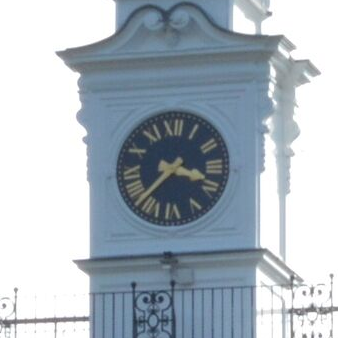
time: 3:37
